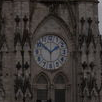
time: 1:51
